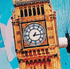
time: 1:14
